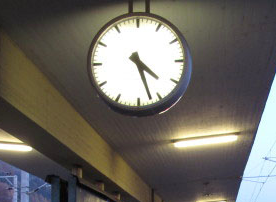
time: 4:27
